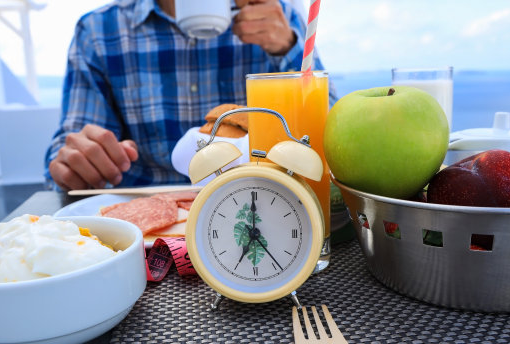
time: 7:00
